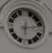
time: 6:13
